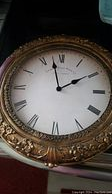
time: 1:57
